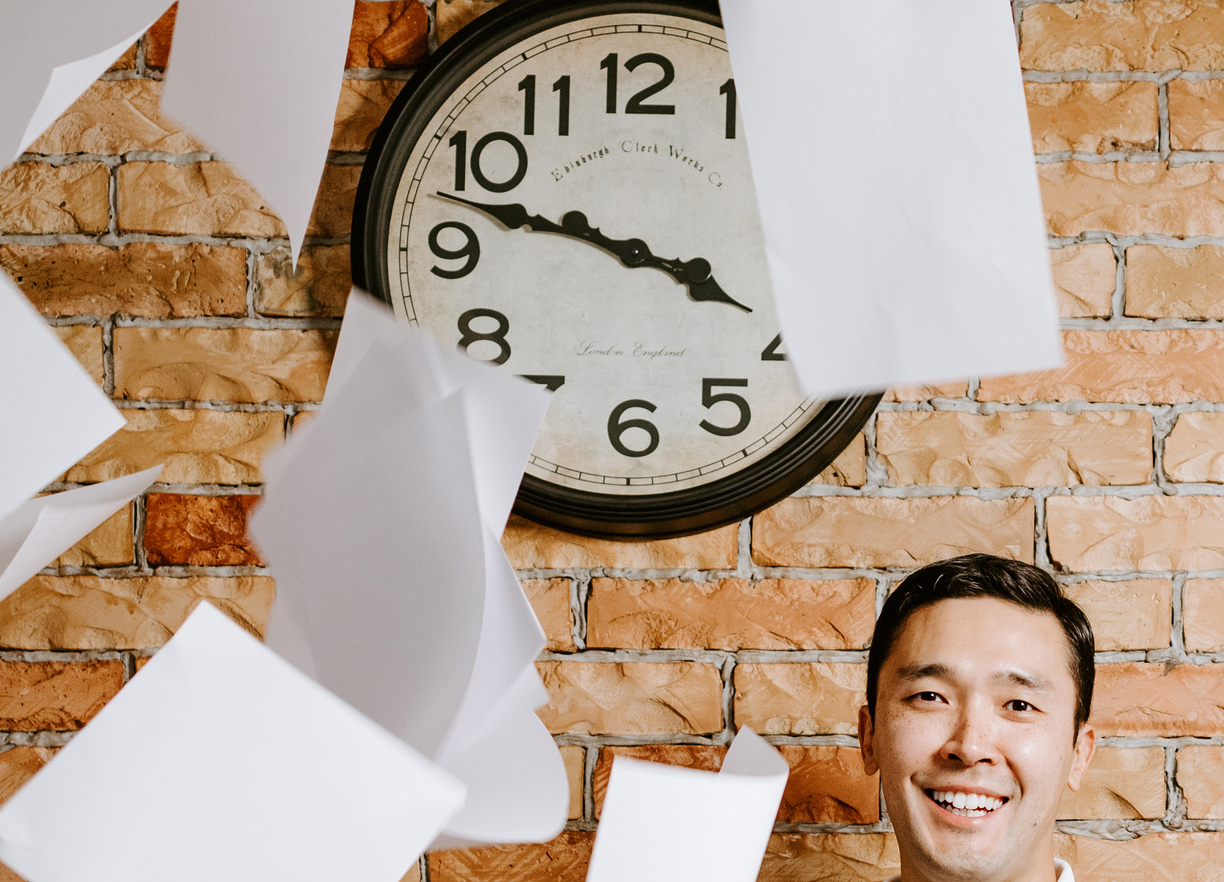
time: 3:47
